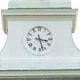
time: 3:27
